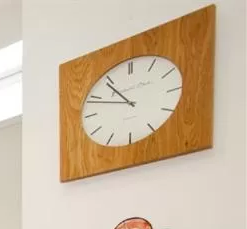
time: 10:48
